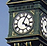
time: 4:04
